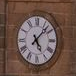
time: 5:07
